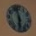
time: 5:57
